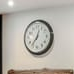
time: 12:36
